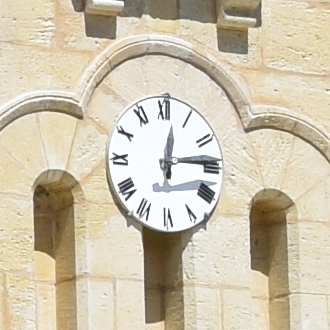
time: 12:14
